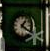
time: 1:20
